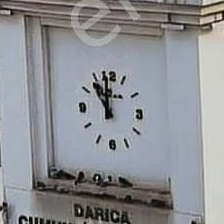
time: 10:59
